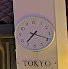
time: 7:18
